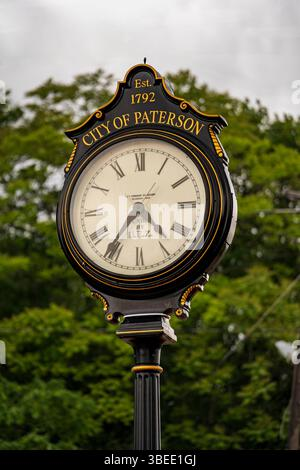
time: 4:35
